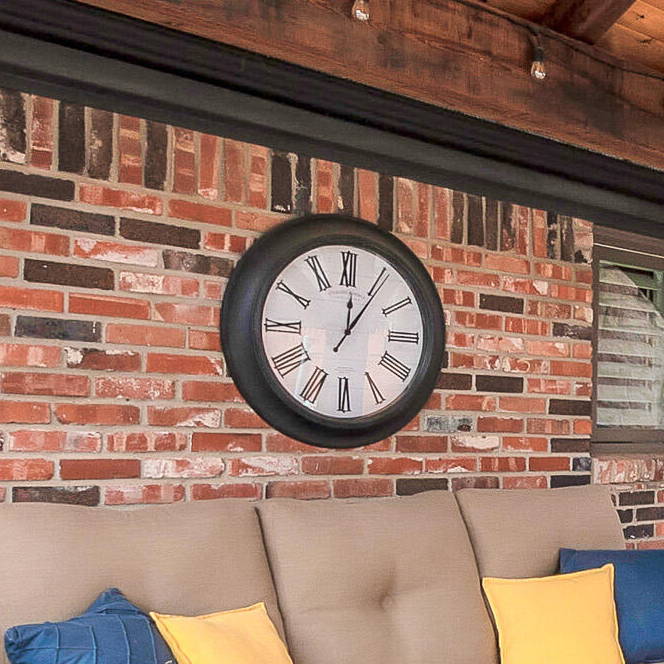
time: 12:05
